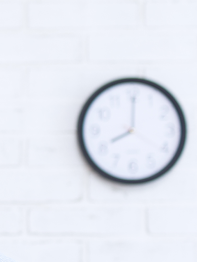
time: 8:00
